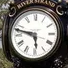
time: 5:47
